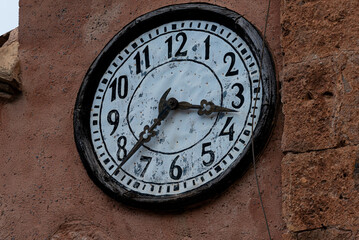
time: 3:37
